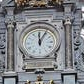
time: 12:05
